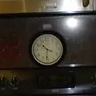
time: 10:31
